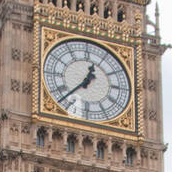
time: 12:37
